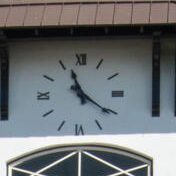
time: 11:21
